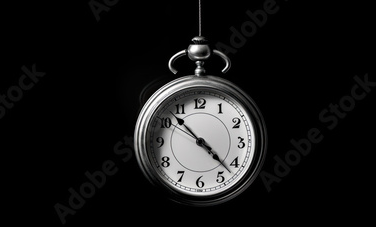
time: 10:22
